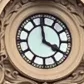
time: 3:58
